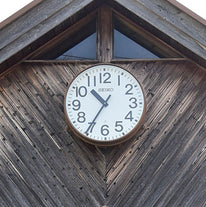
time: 10:35
